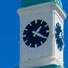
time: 1:19
